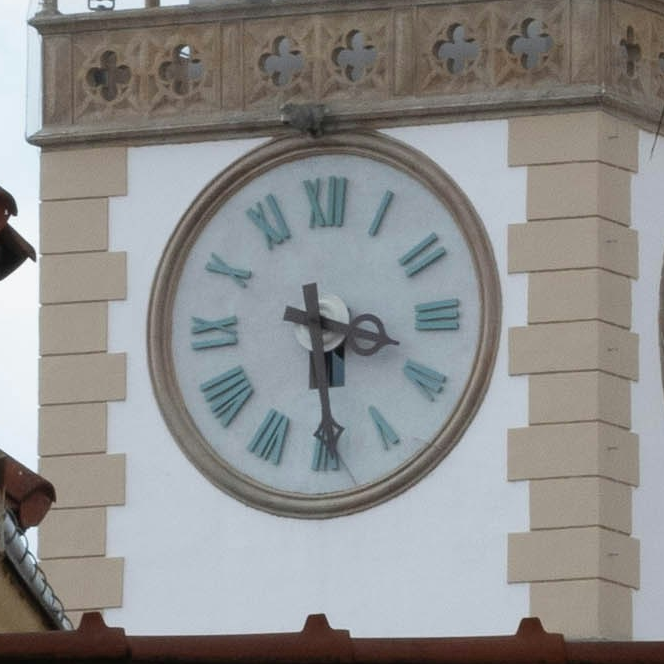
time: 3:29
